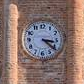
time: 3:21
